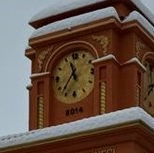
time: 11:36
